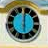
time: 6:00
